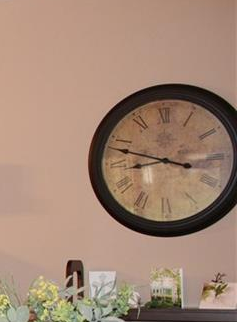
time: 8:47
